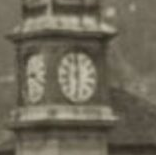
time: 5:59
